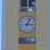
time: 3:04
